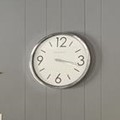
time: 3:17
